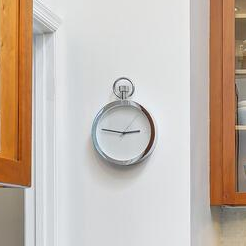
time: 2:46
